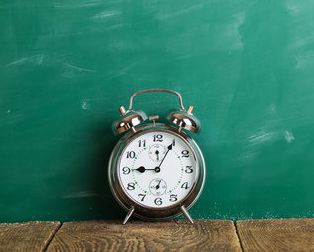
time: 9:04
